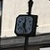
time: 12:26
